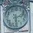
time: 2:29
